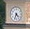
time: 4:33
